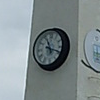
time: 11:18
